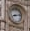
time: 8:12
